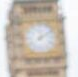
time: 12:09
